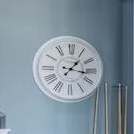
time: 1:16
